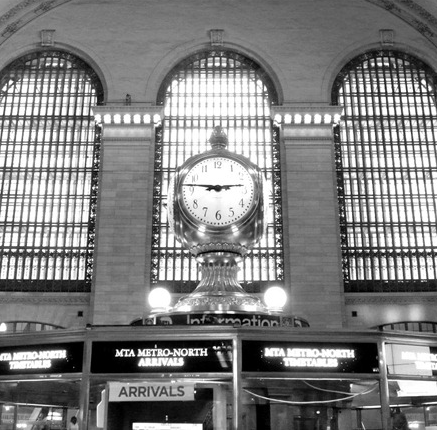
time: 2:46
